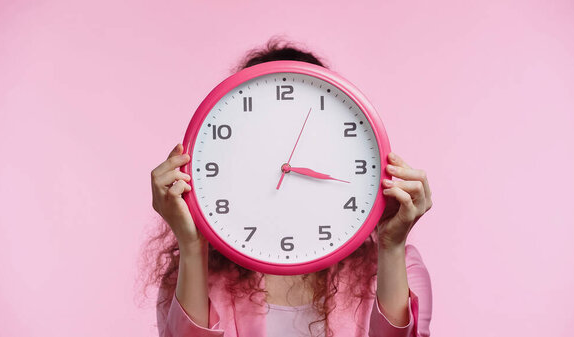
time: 3:17
